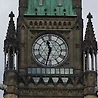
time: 11:32
